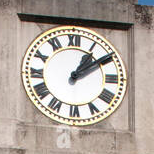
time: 1:09
